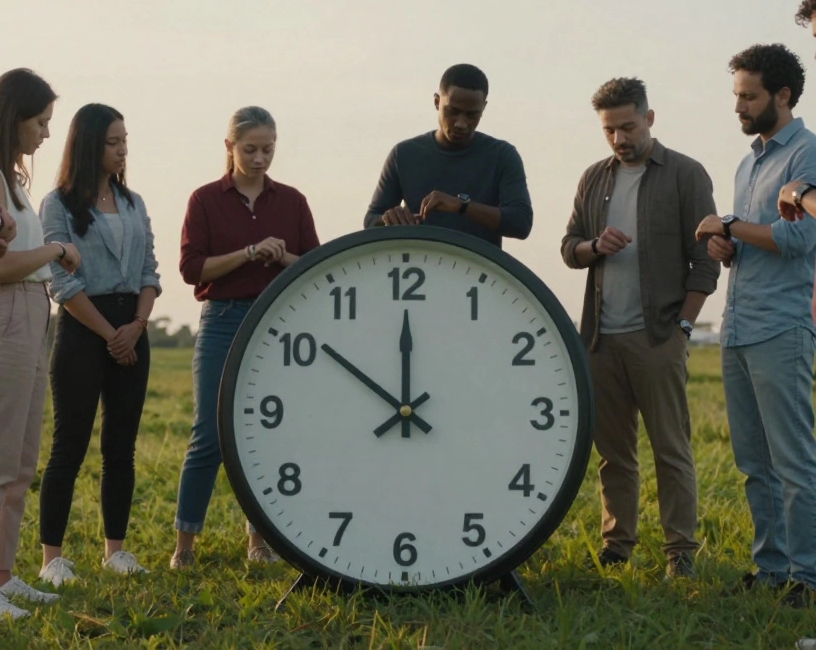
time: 11:51
